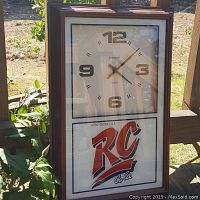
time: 4:08
